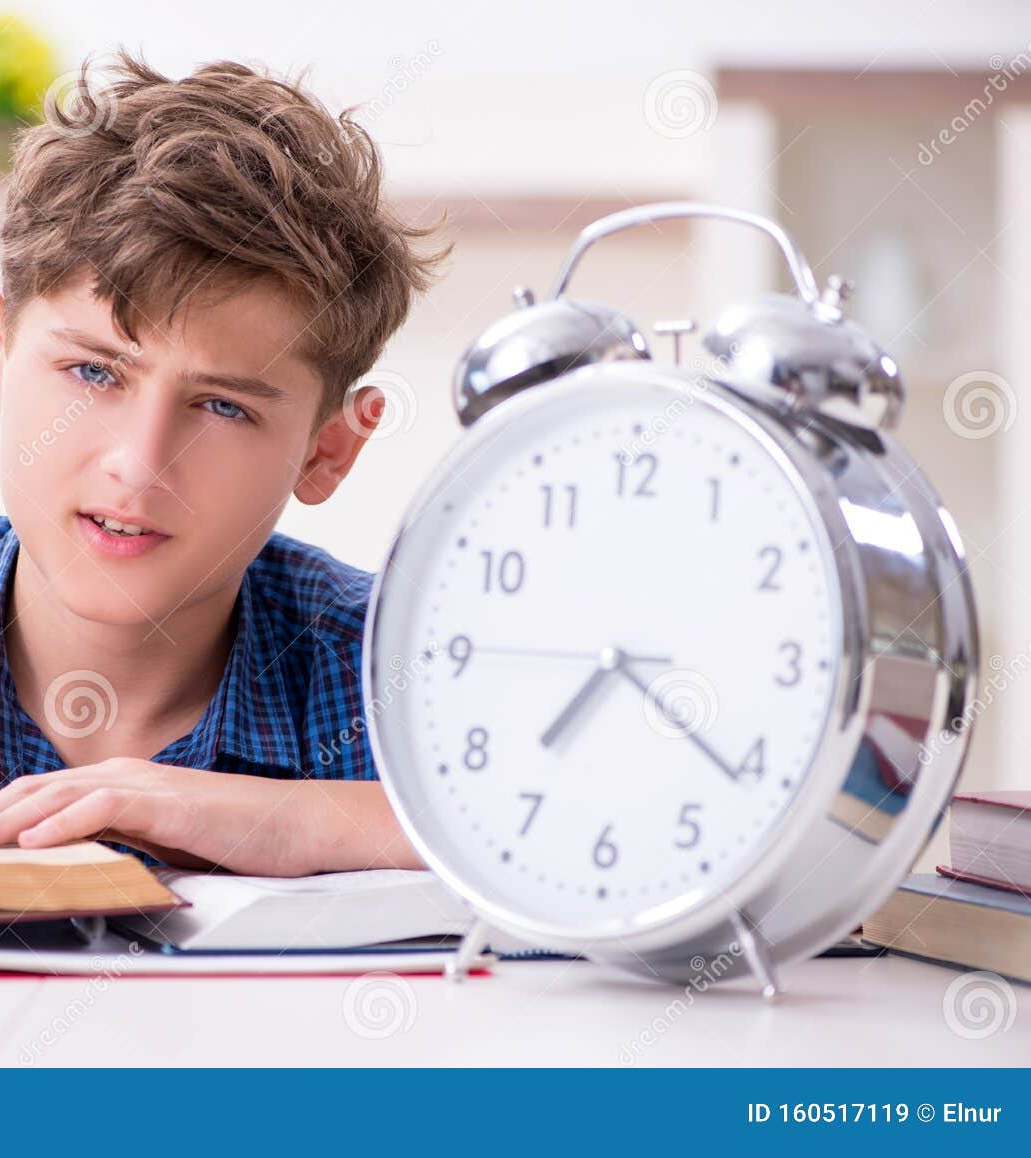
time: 7:21
